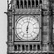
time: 6:02
